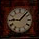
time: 9:07
